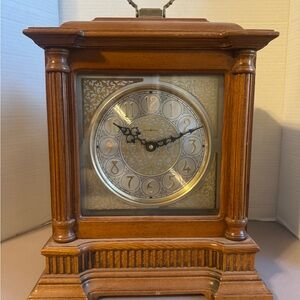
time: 10:12
